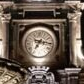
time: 7:15
